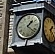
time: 1:21
